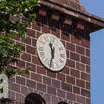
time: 11:32
